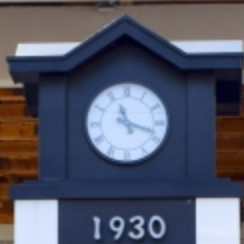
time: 11:18
